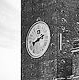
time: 8:12
